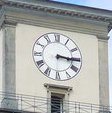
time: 3:15
